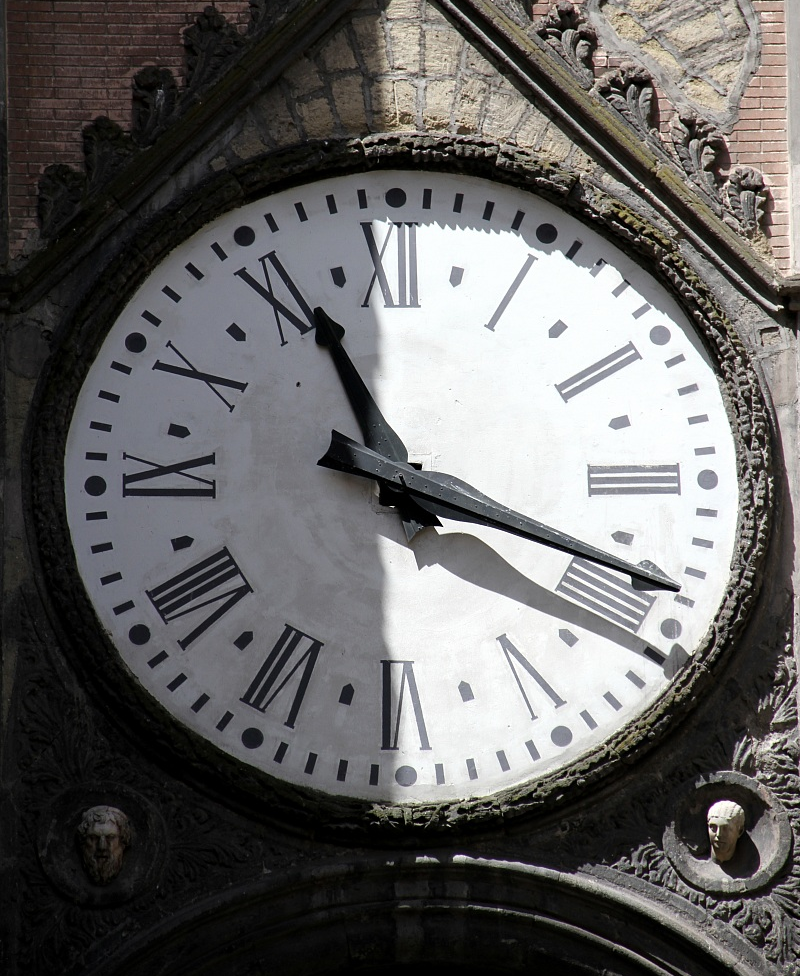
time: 11:18
